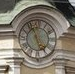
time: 4:56
